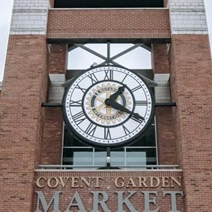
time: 1:19
